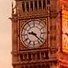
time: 9:22
